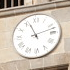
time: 11:12
